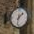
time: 1:32
